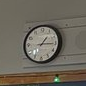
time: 1:14
